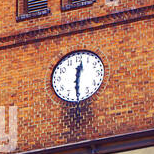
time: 12:30
